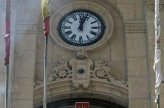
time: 12:02
